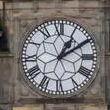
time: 1:09
